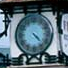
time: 4:22
